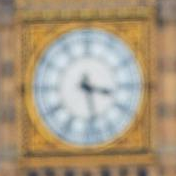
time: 3:27
